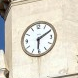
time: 6:10
